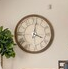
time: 4:01
